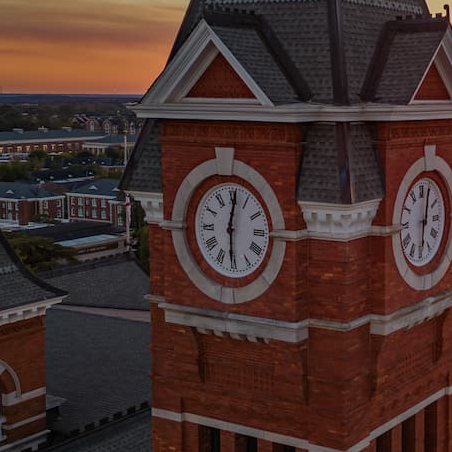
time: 6:01
